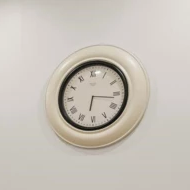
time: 6:16
